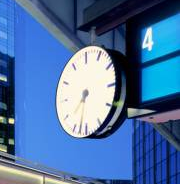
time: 7:32
